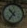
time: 10:36
